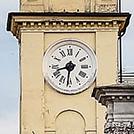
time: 8:31
